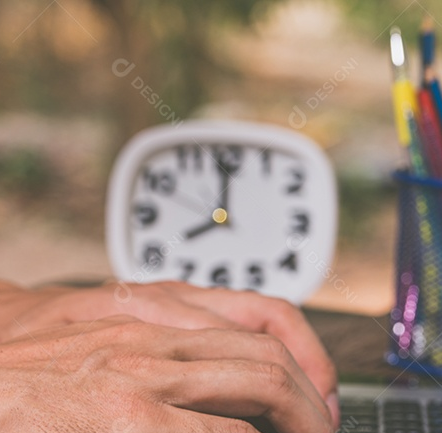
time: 7:59
